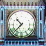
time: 10:37
